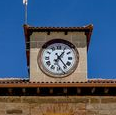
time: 1:23
